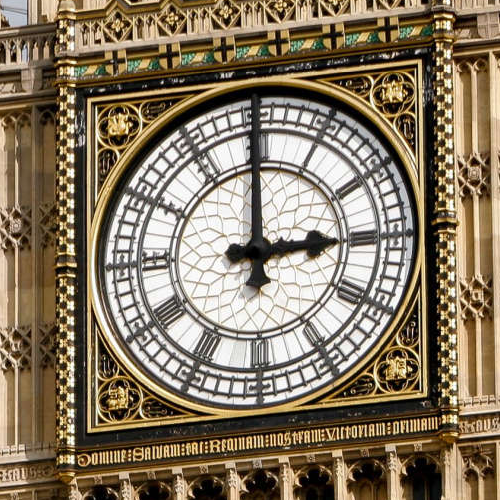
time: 2:59
